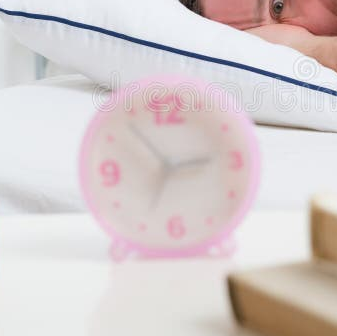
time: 2:34
